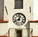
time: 12:41
